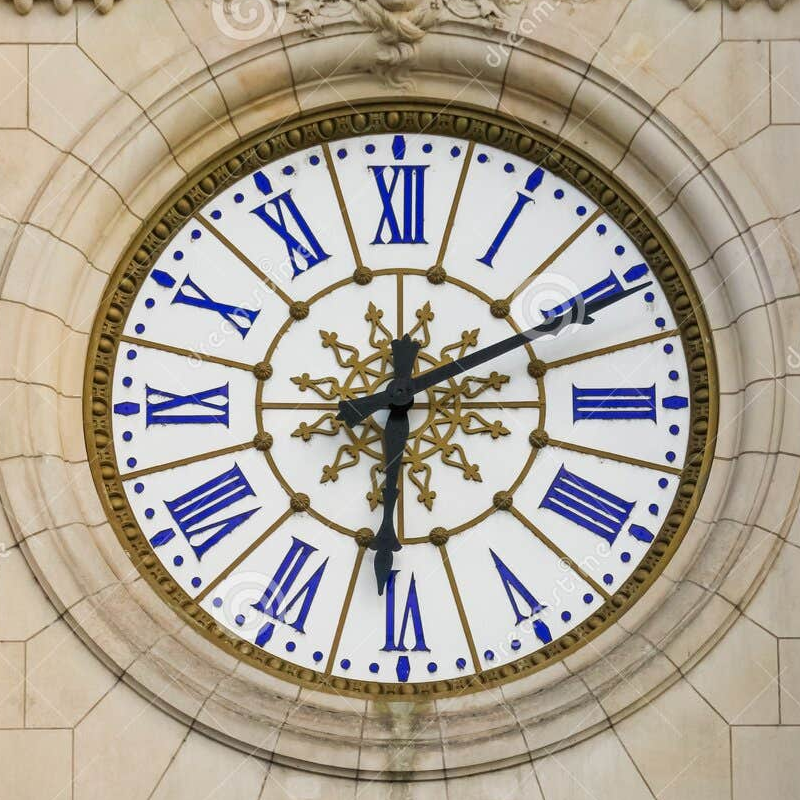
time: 6:10
